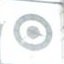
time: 7:18
